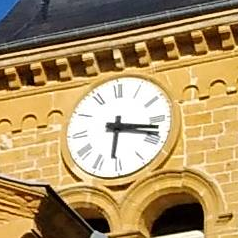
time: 6:17
